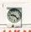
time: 9:22
